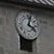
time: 4:02
